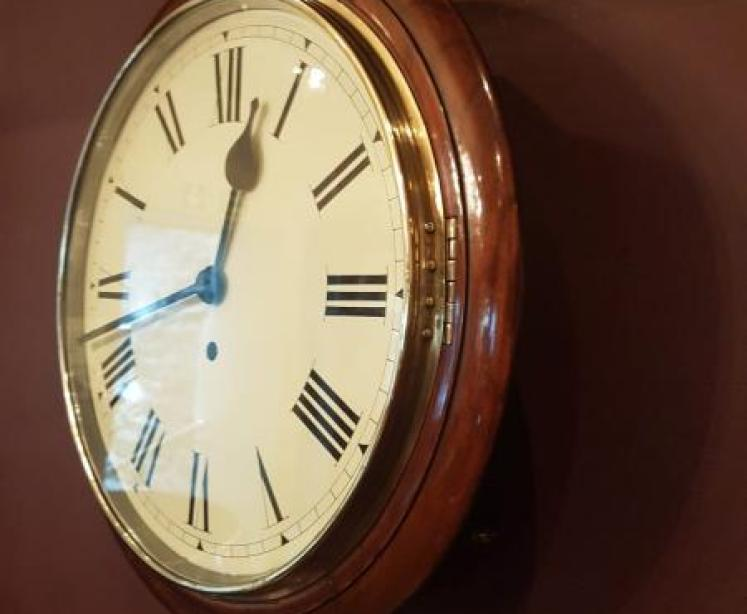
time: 12:42
